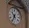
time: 10:34
